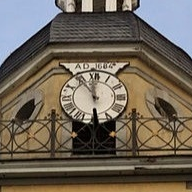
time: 11:53
